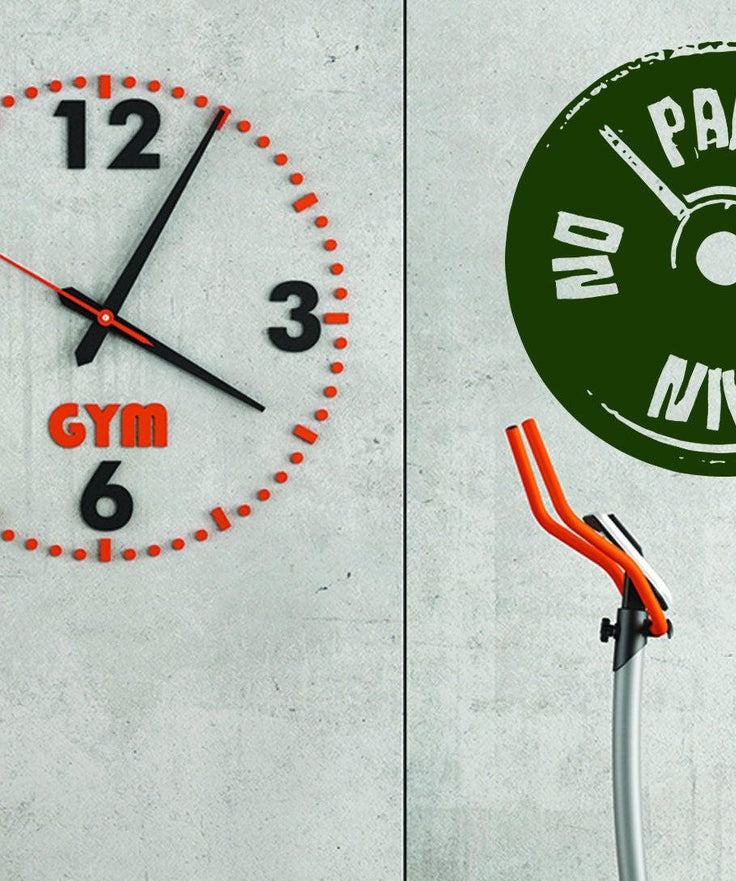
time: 4:04
